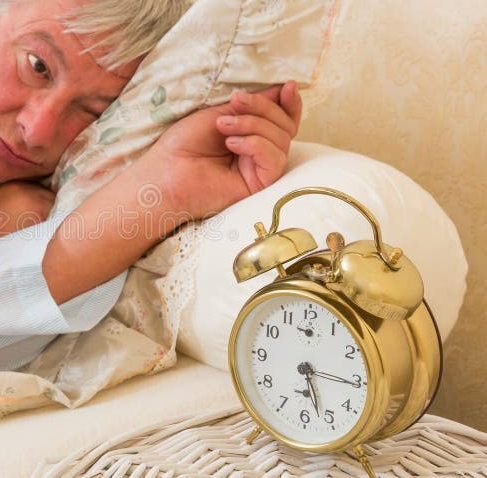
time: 5:15
